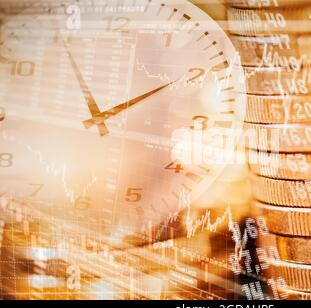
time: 1:54
